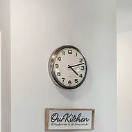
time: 4:12
